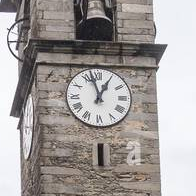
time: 12:57
